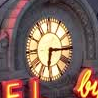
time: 6:15
